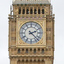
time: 2:22
